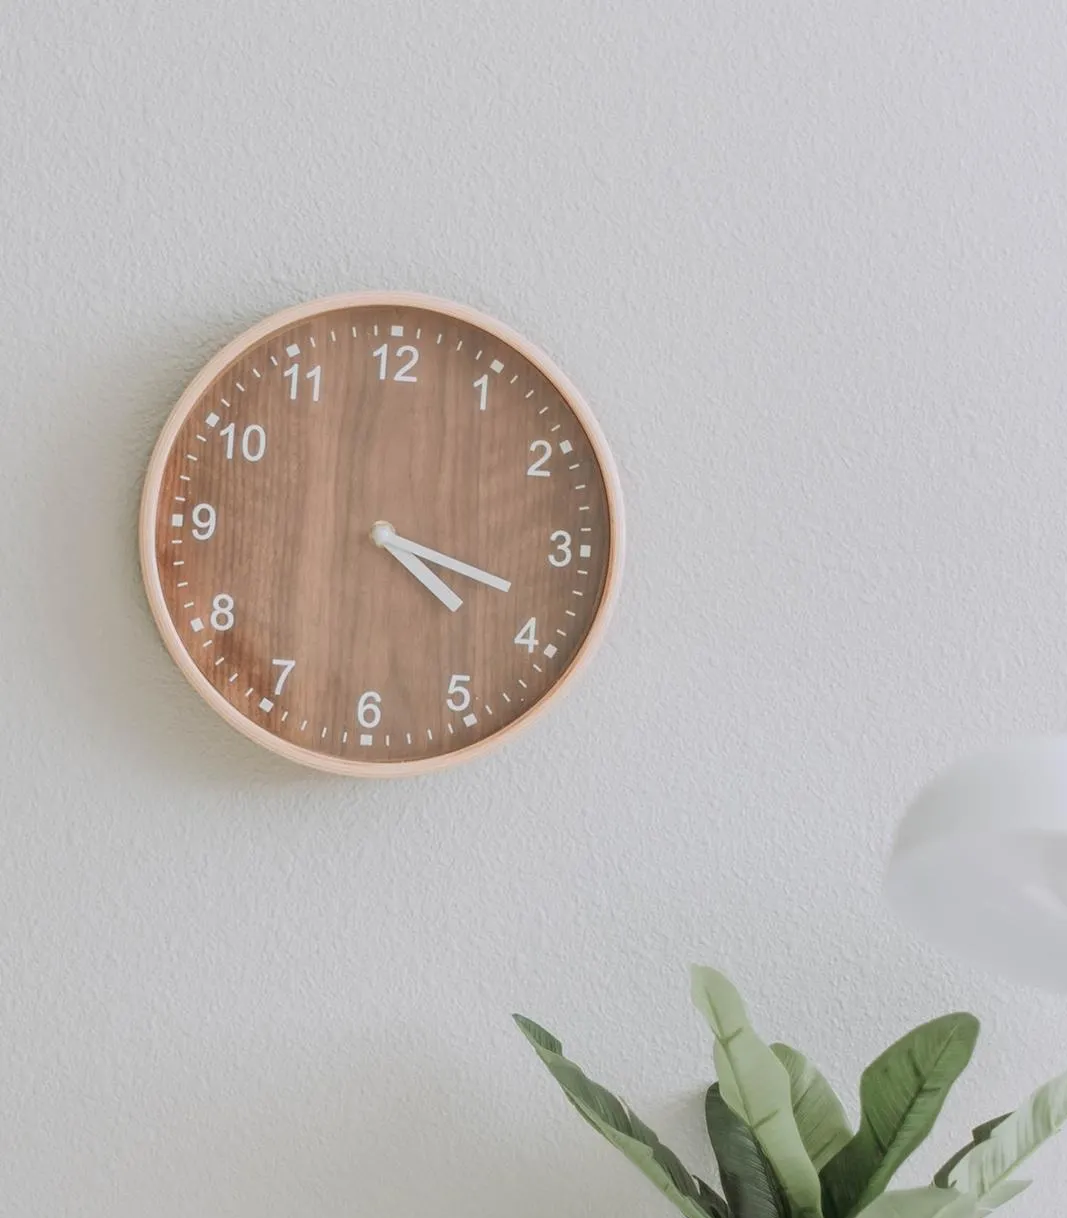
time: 4:18
